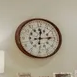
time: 12:13
